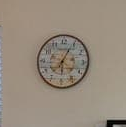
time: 6:04
